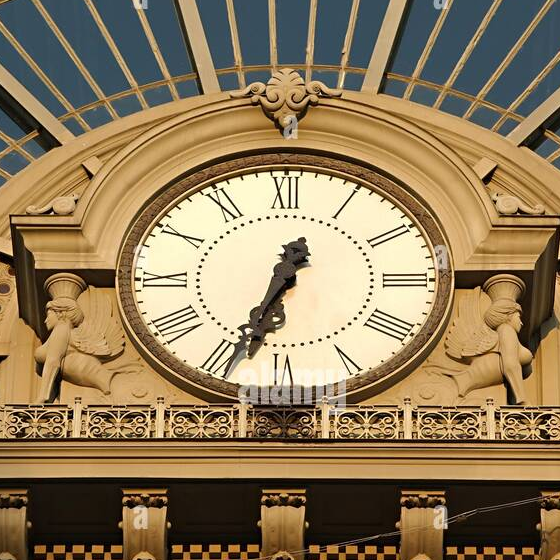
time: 12:33
